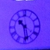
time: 10:28
